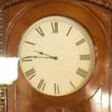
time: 9:45
